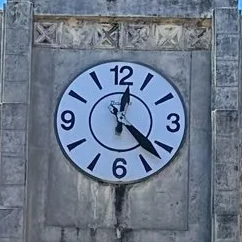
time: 12:22
